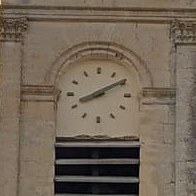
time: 8:10
